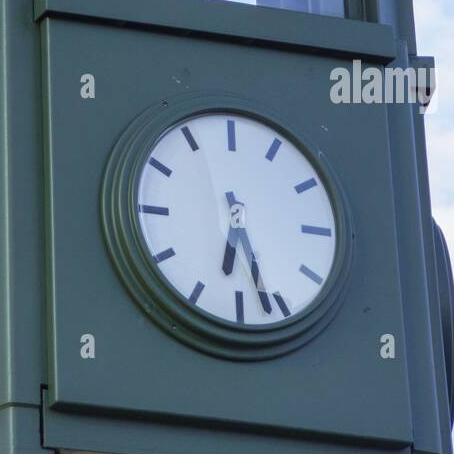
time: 6:26
